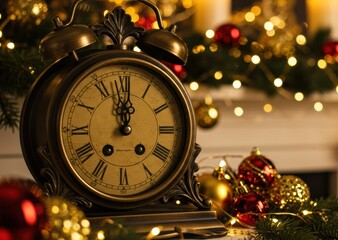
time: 12:01
